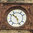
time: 10:26
